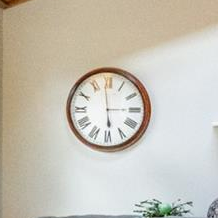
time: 5:58
